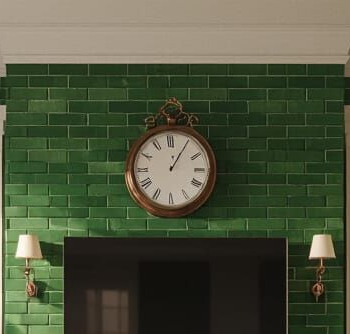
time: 12:05
